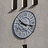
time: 10:17
